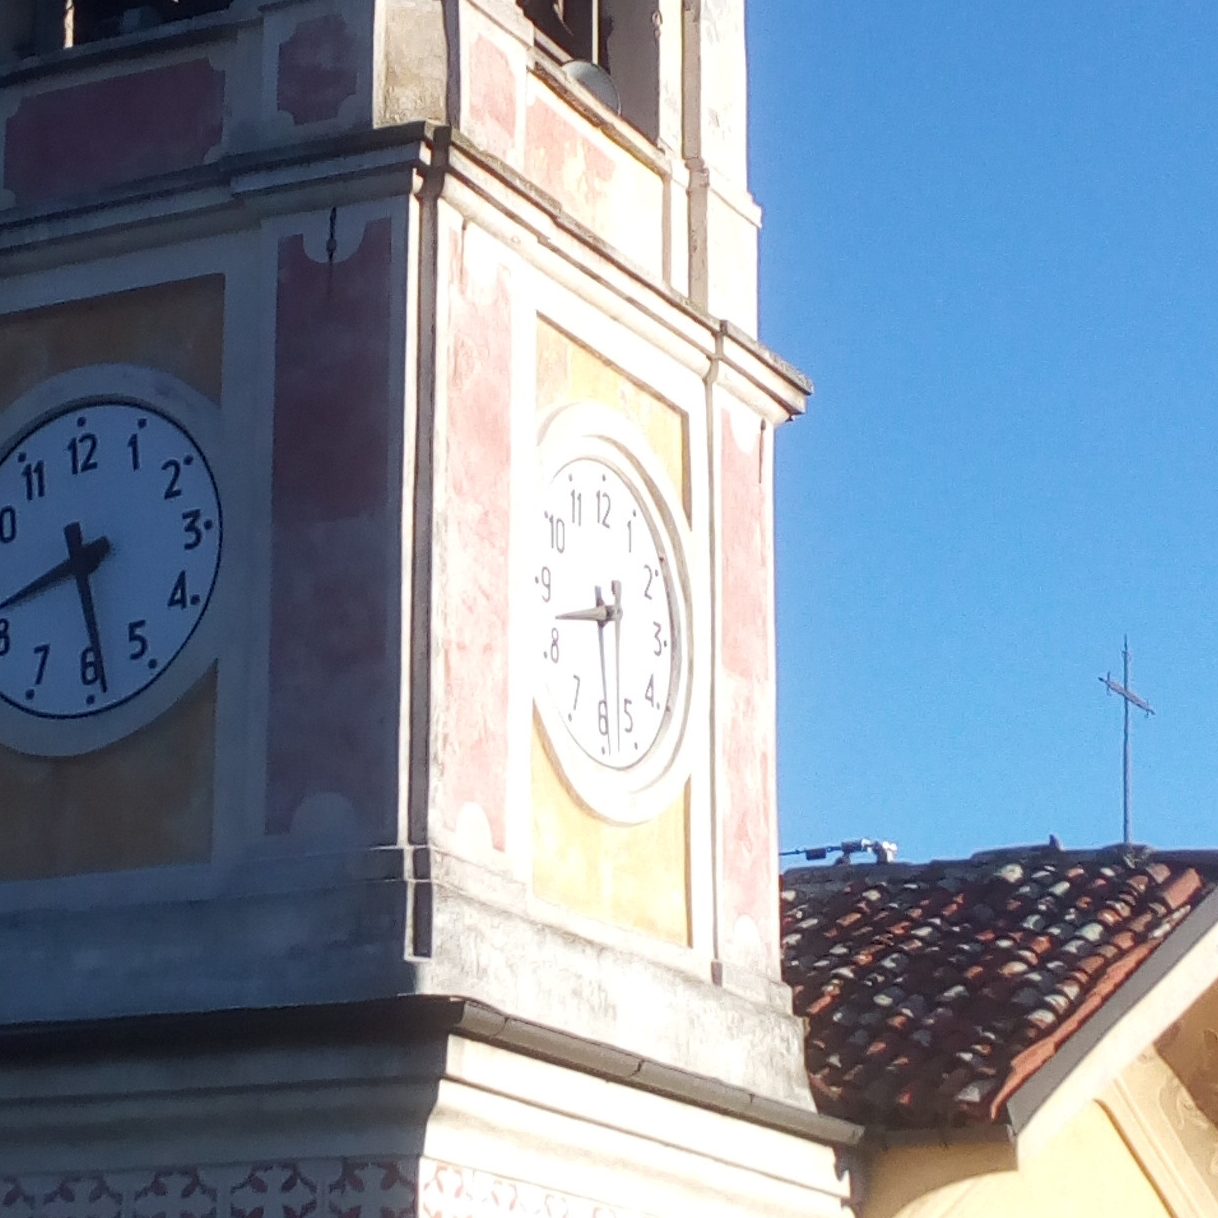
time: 5:42
